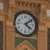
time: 4:08
